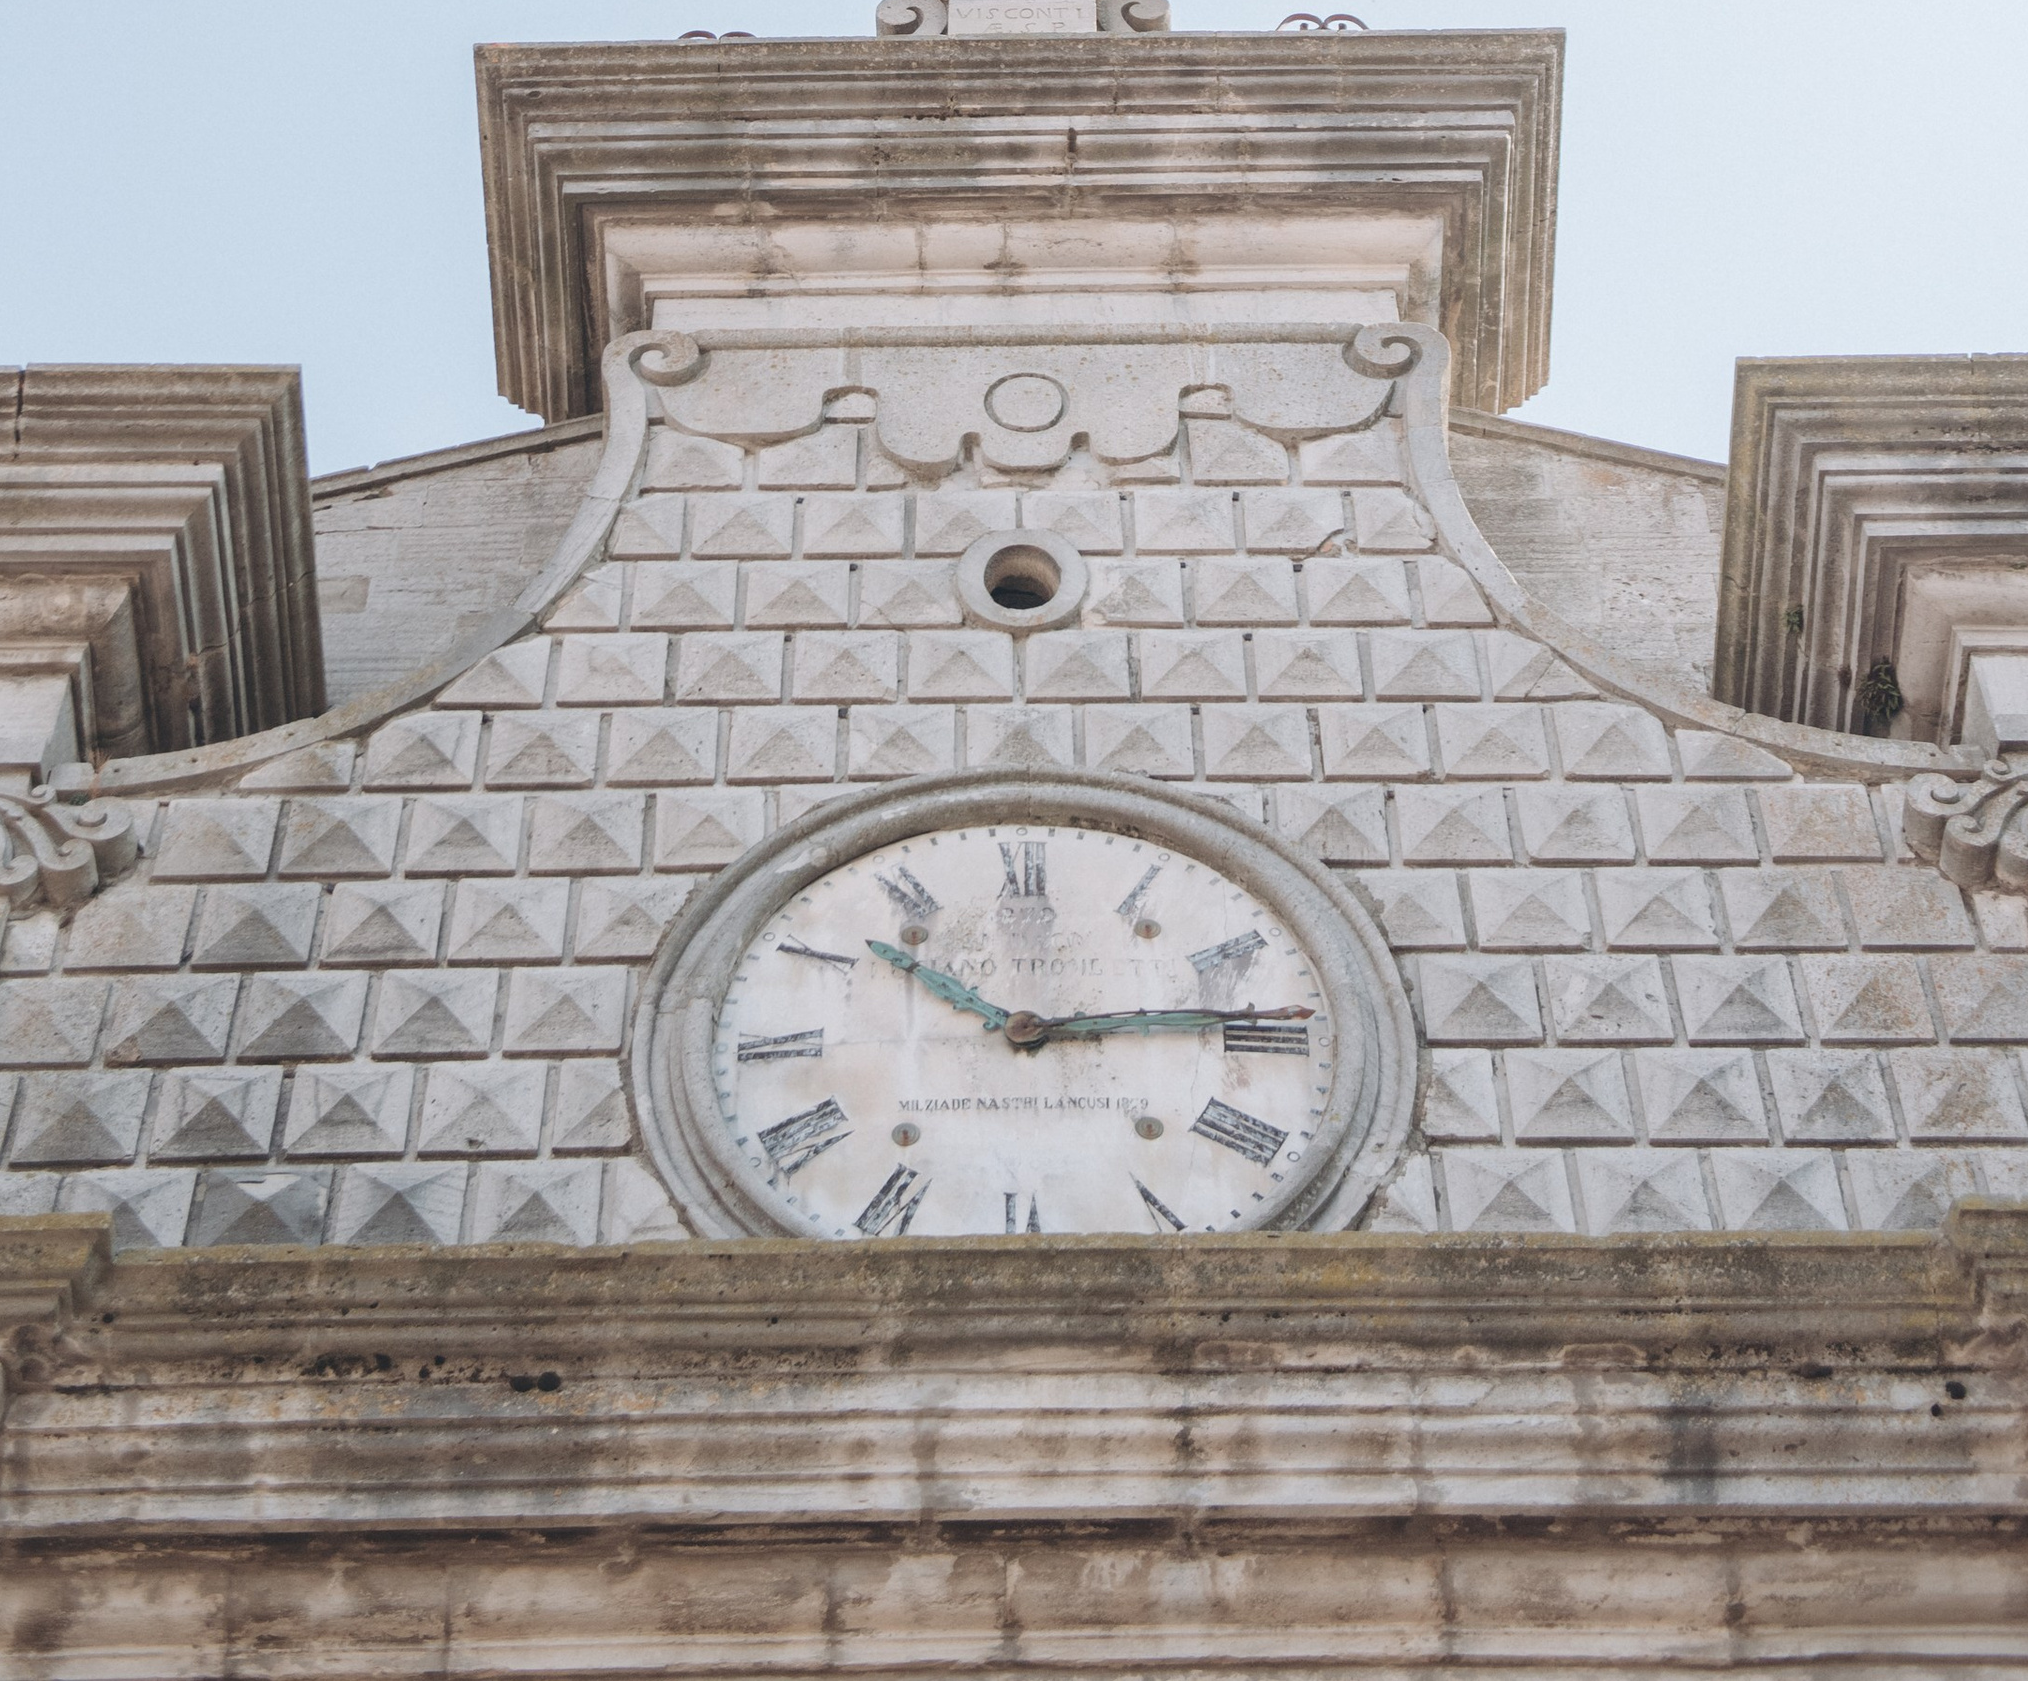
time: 10:13
